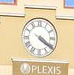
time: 4:20
